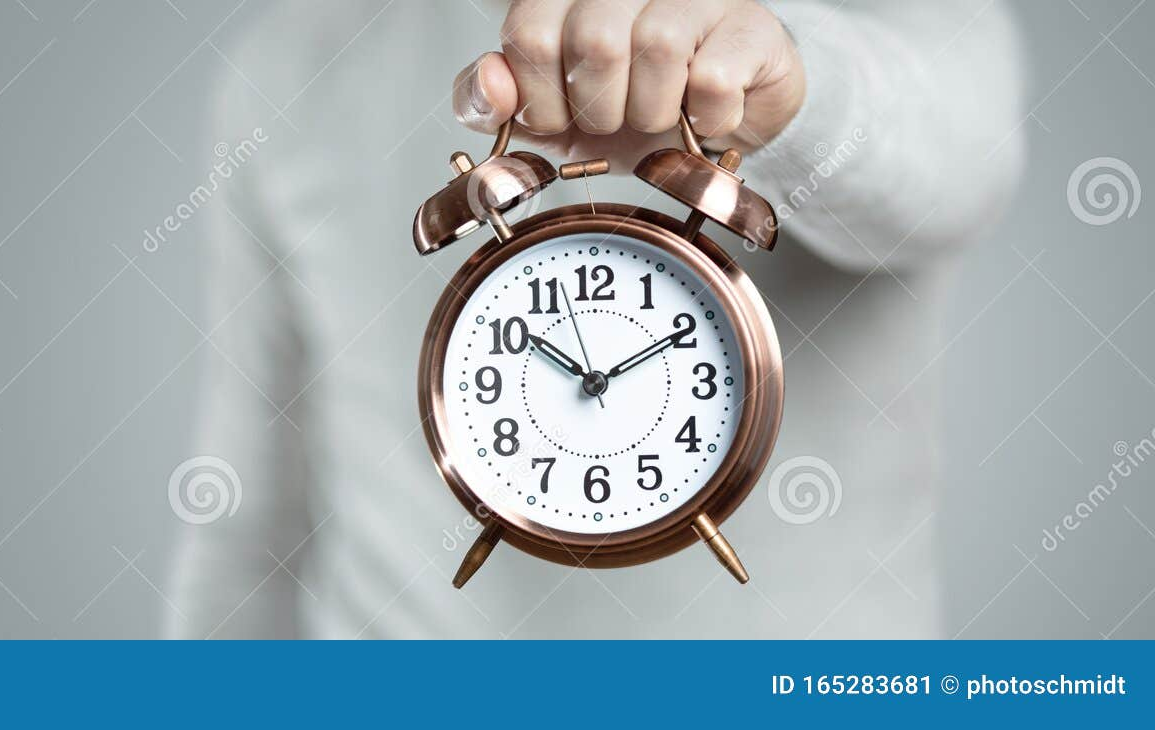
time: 10:10
